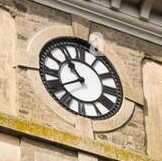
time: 10:39
